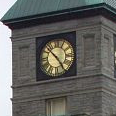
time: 4:52
